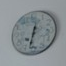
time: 12:32
